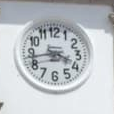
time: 3:43
